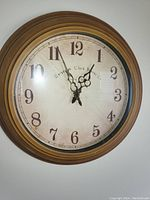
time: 12:55
